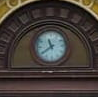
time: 11:39
